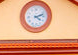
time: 4:11
